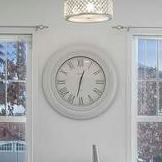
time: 12:32
